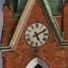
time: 5:10
